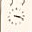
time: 3:18
